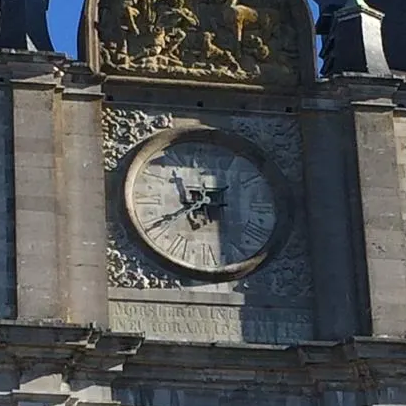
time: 11:40
